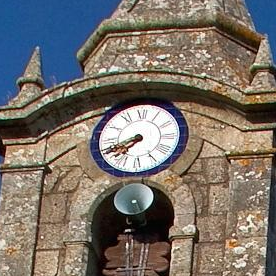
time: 7:41
